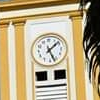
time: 1:26
